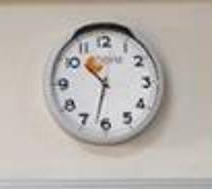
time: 10:32
